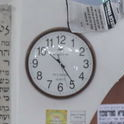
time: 10:24
